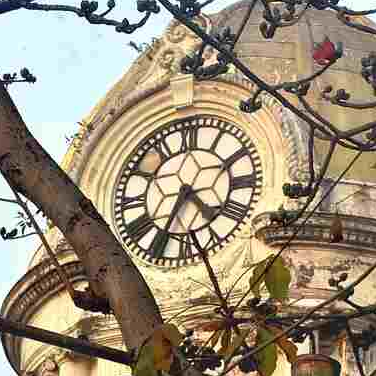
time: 4:34
